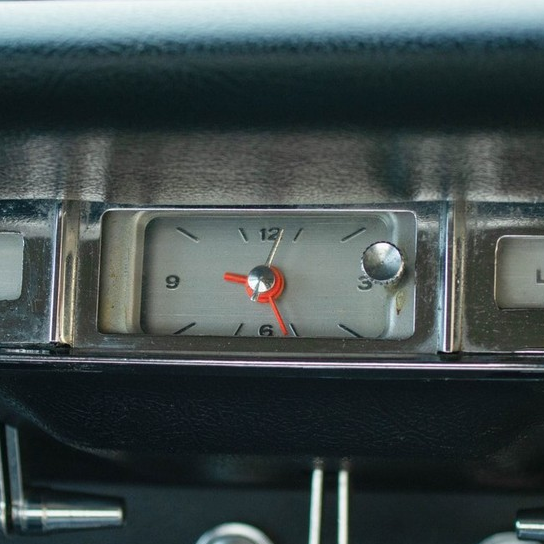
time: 5:02
